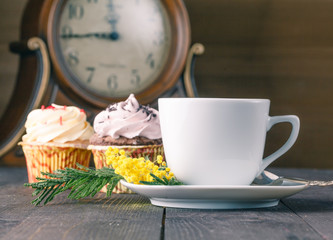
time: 11:44
